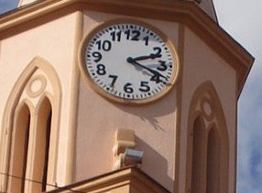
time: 2:18
